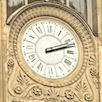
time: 2:12
